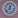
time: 12:37
